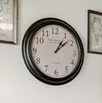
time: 1:08
